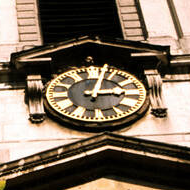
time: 3:02
